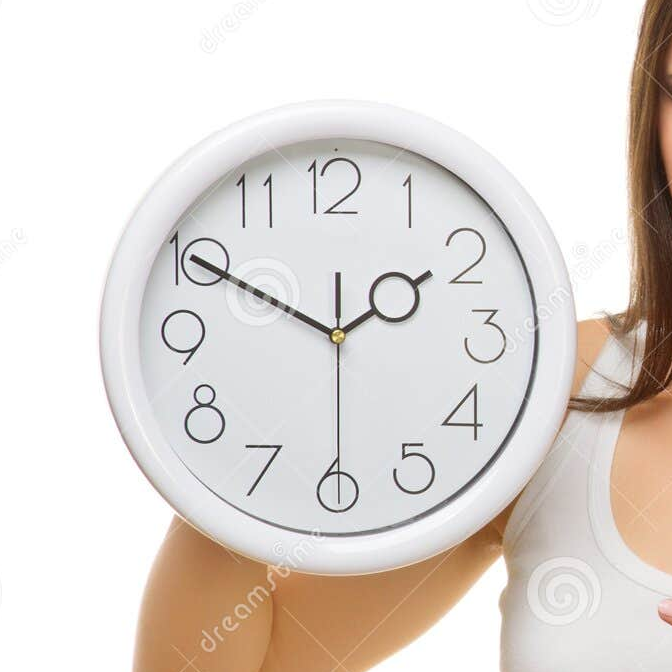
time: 1:50
